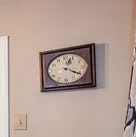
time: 4:04
